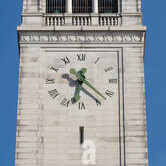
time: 6:22
